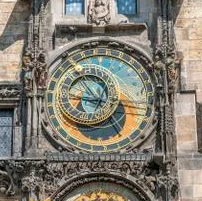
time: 8:53
